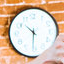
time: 10:31
